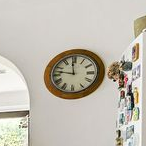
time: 11:46
